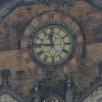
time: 11:45
